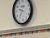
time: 9:36
